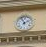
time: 1:56
